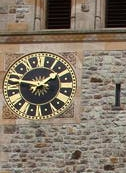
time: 1:46
